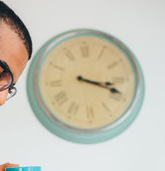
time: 3:18
